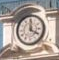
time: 4:00
